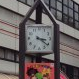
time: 3:21
